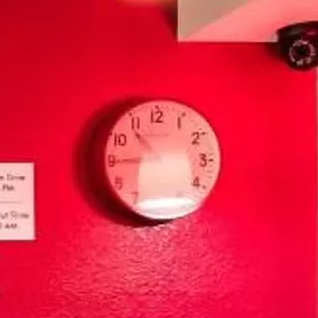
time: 10:44
